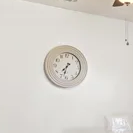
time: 7:32
